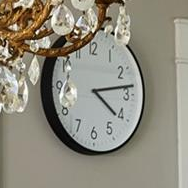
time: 4:13
